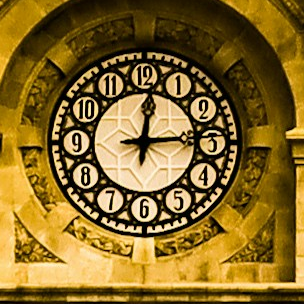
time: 12:14
